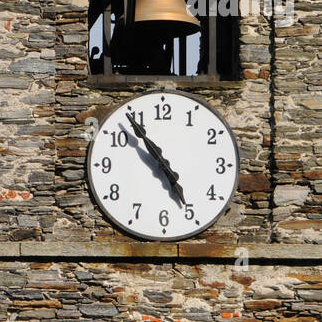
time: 4:54
